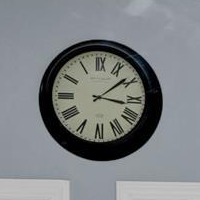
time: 3:08
